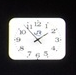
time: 1:53
